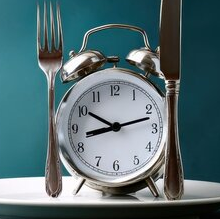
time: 10:12
